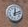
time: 12:12
